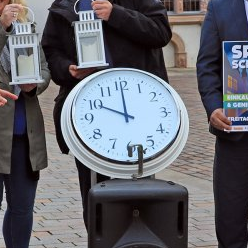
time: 10:00
